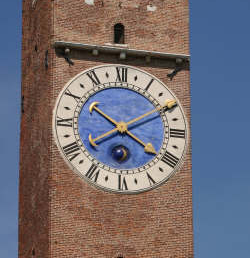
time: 10:20
